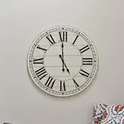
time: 4:59
